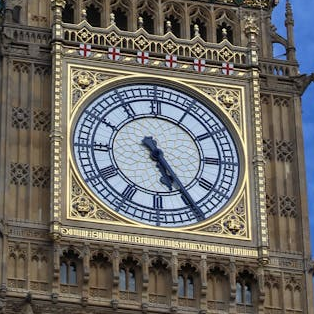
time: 5:24
